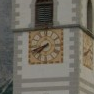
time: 7:41
